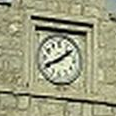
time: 8:09
